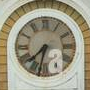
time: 7:32
